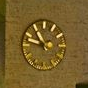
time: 10:47
